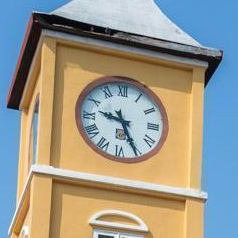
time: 9:25
